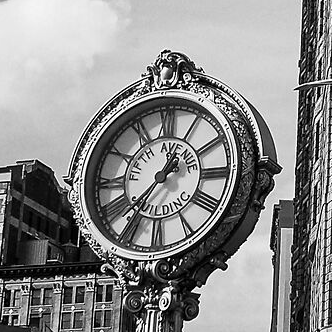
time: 12:36
